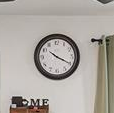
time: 10:19
